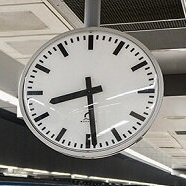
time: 8:29
